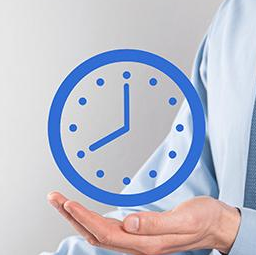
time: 7:59
